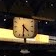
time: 4:30
